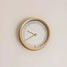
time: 9:40
